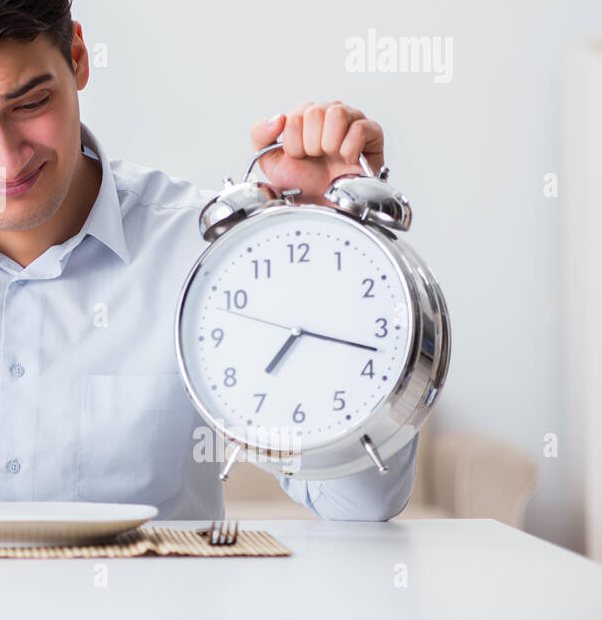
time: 7:17
